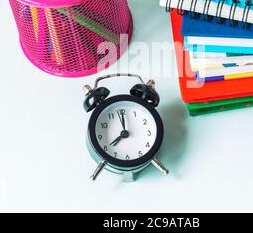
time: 8:00
